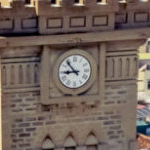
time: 8:53
